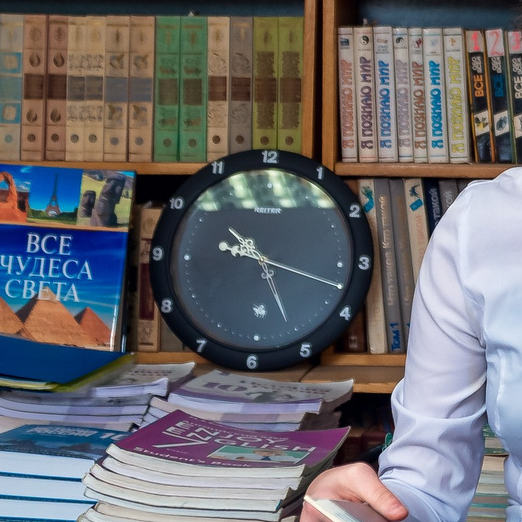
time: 10:25
